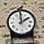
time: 1:59
